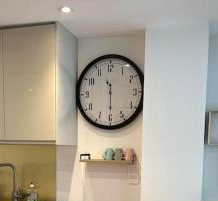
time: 11:29
